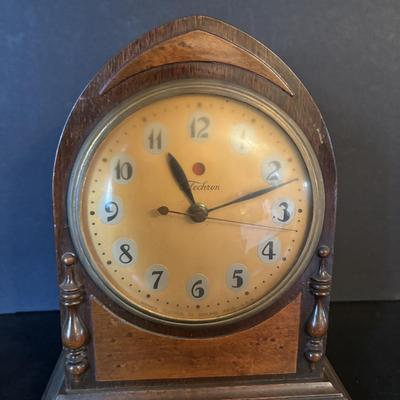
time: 10:55
